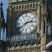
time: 2:39
